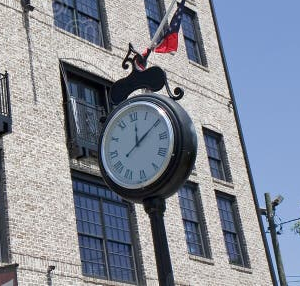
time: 12:09
